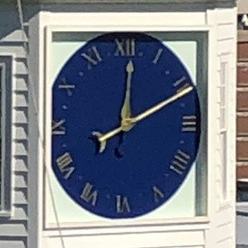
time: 12:10
